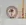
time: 8:32
